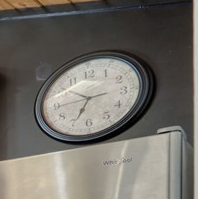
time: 6:51
